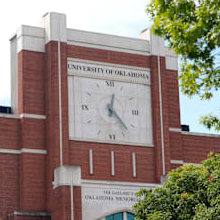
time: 12:23
